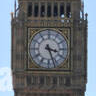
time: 3:26
